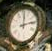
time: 12:13
